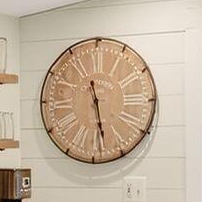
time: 11:28
